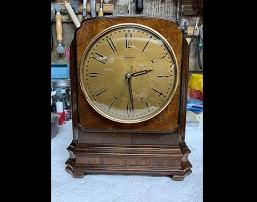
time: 2:29
